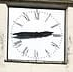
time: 2:45
